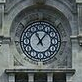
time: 11:07
